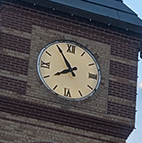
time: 7:54
